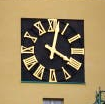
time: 4:02
